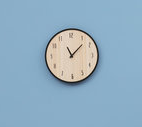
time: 11:07
